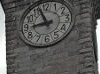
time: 8:56
